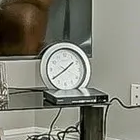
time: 1:39
